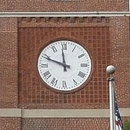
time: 11:48
